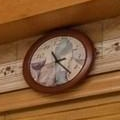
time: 11:23
